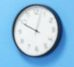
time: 12:49
